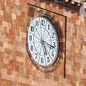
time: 5:16
